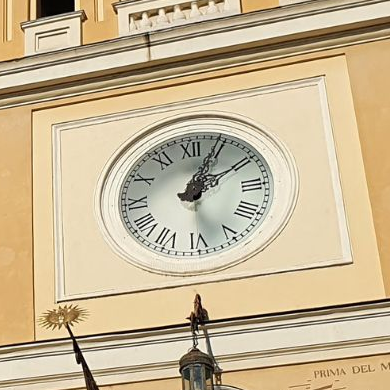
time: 2:04
